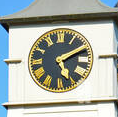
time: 5:10
